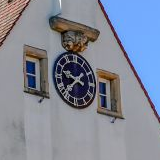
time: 9:38
